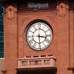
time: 3:29
